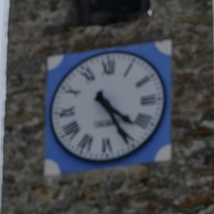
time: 4:25
